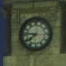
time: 7:46
